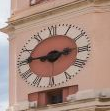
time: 2:46
